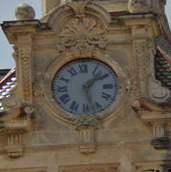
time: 1:27
